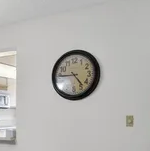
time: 4:44
